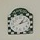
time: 1:11
